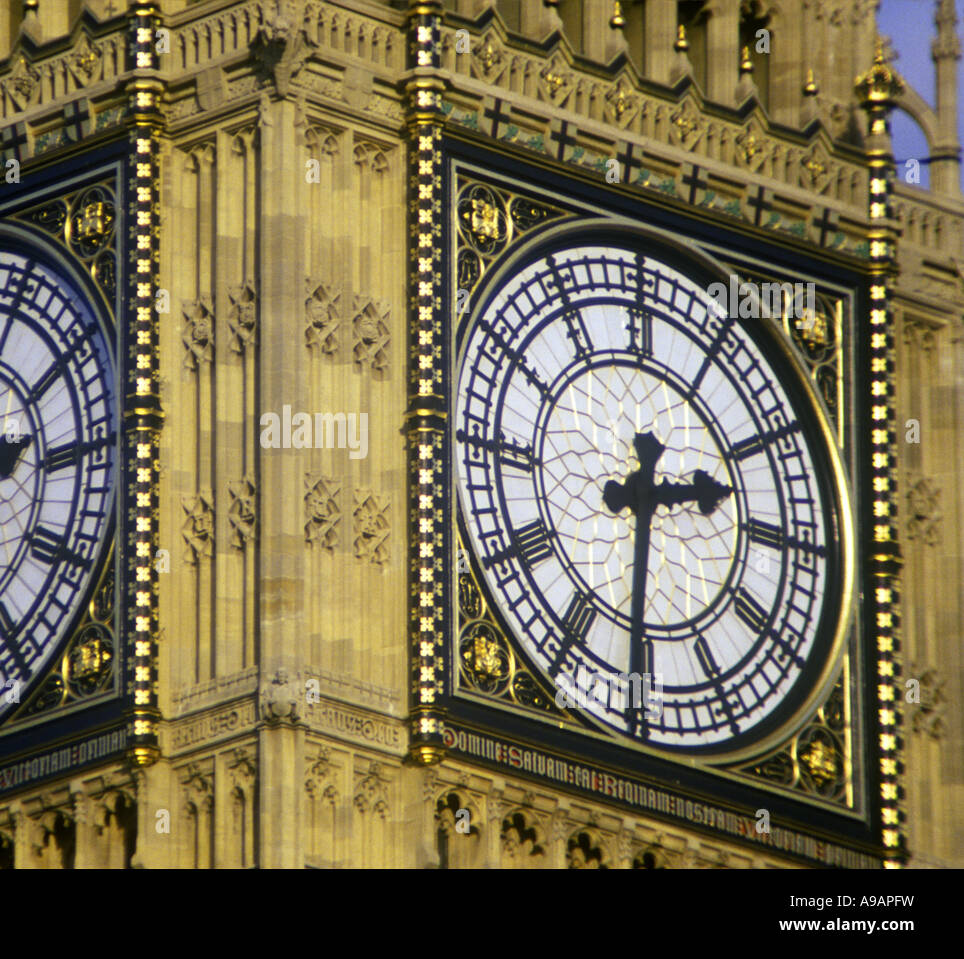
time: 2:30
